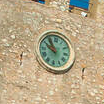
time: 9:54
